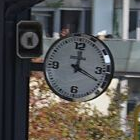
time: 12:19
